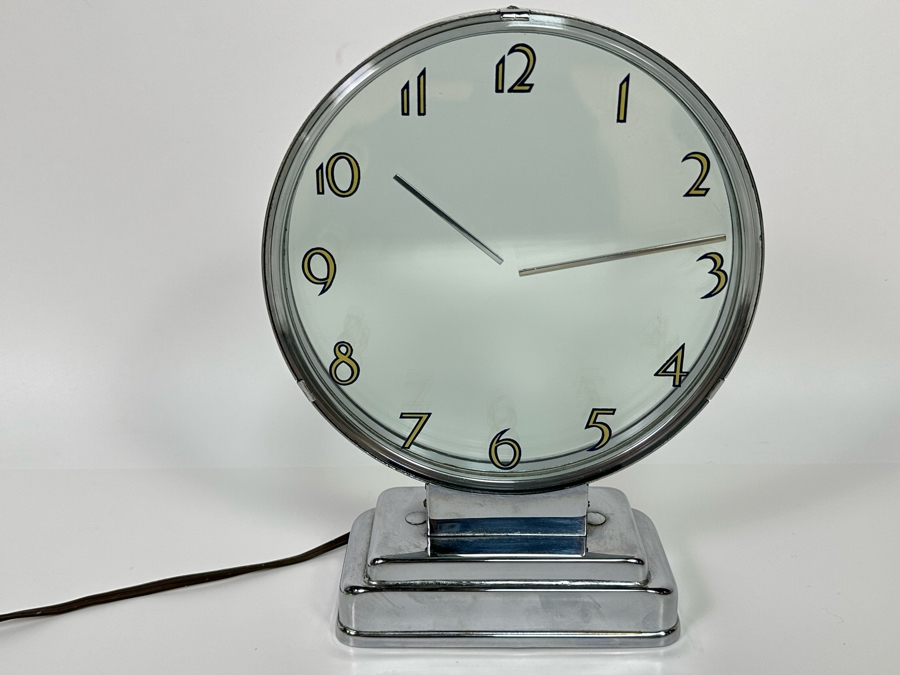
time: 10:13
